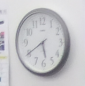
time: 5:39
